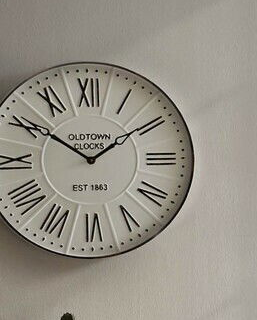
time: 1:50
